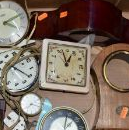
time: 12:57
